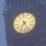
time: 7:26
